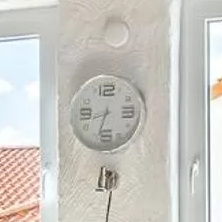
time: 8:33
